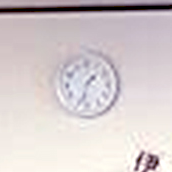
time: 1:33
